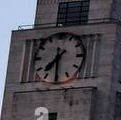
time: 7:30
